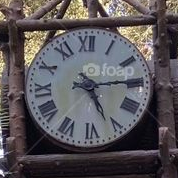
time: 5:14
